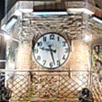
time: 9:27
